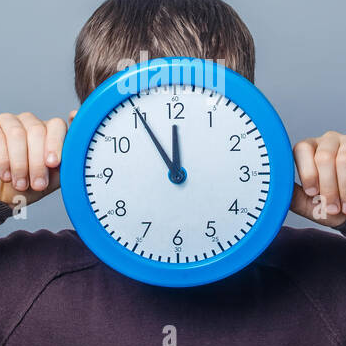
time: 11:54
